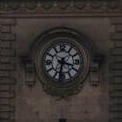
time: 3:32
